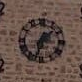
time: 1:32
